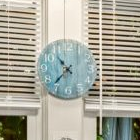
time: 10:37
